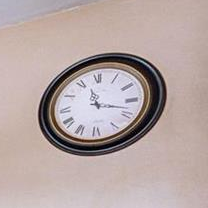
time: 11:17
